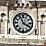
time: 3:56
